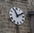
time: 11:10
